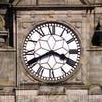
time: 3:40
